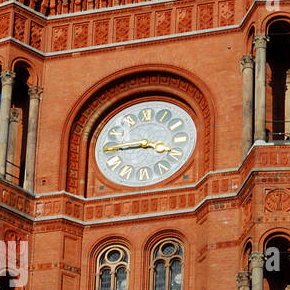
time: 3:44
